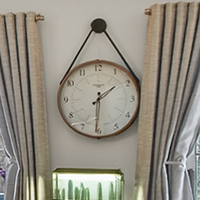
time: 1:30
